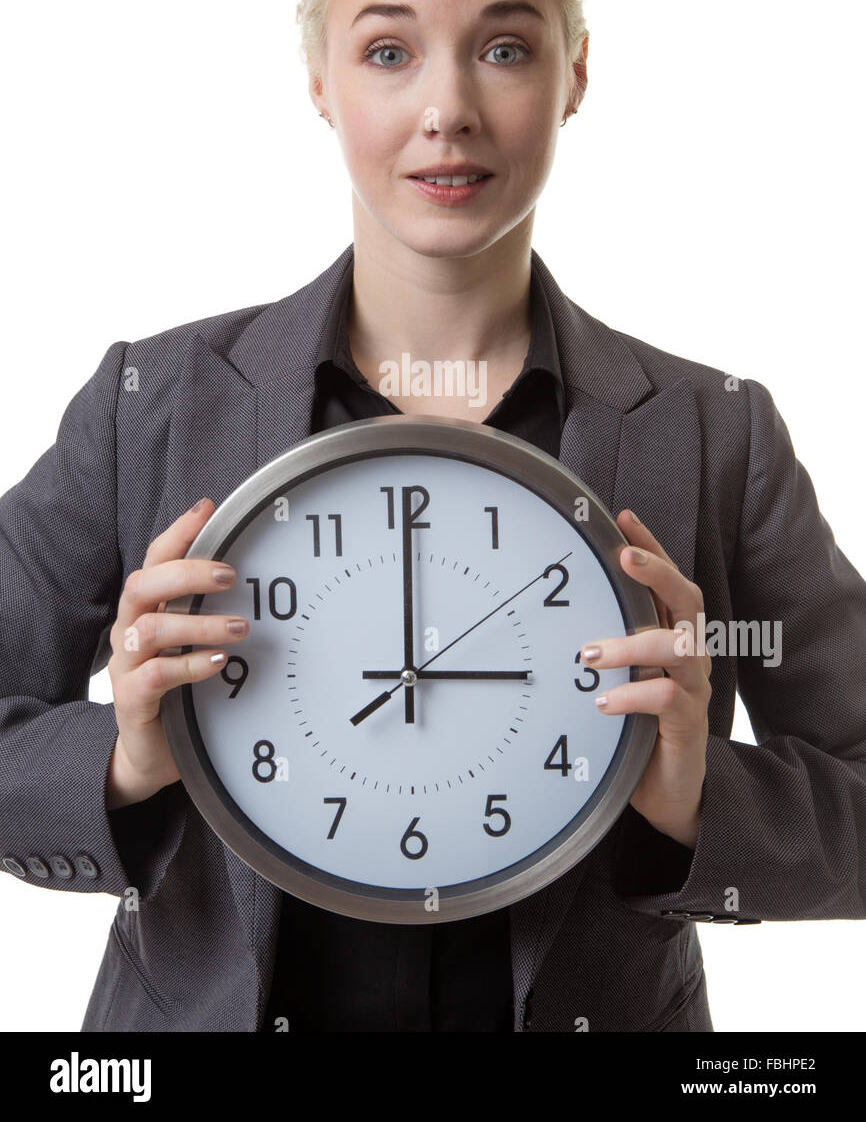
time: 3:00
